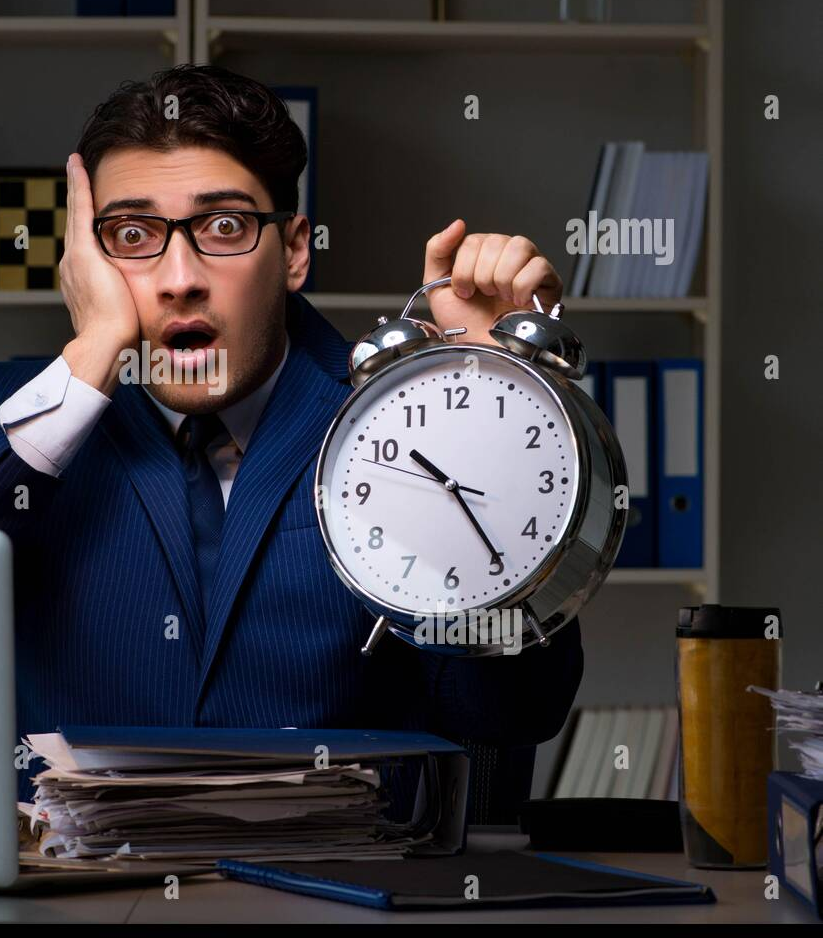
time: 10:24
